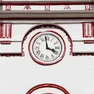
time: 3:58
